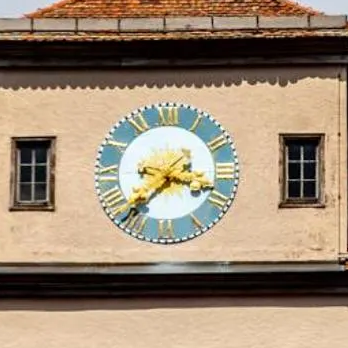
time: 3:37
